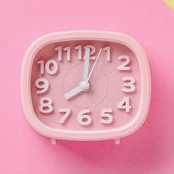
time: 8:01
